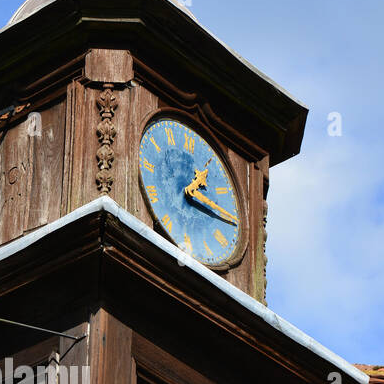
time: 1:16
